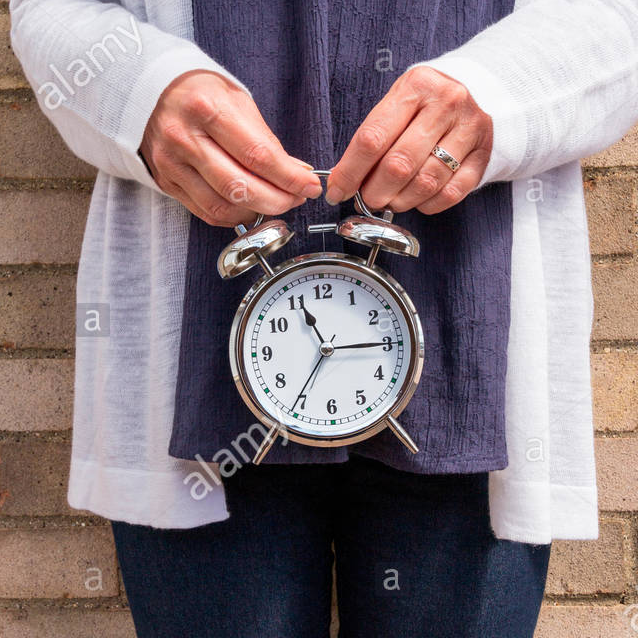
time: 11:14
